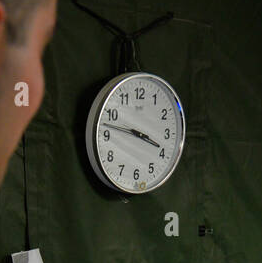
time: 3:46
